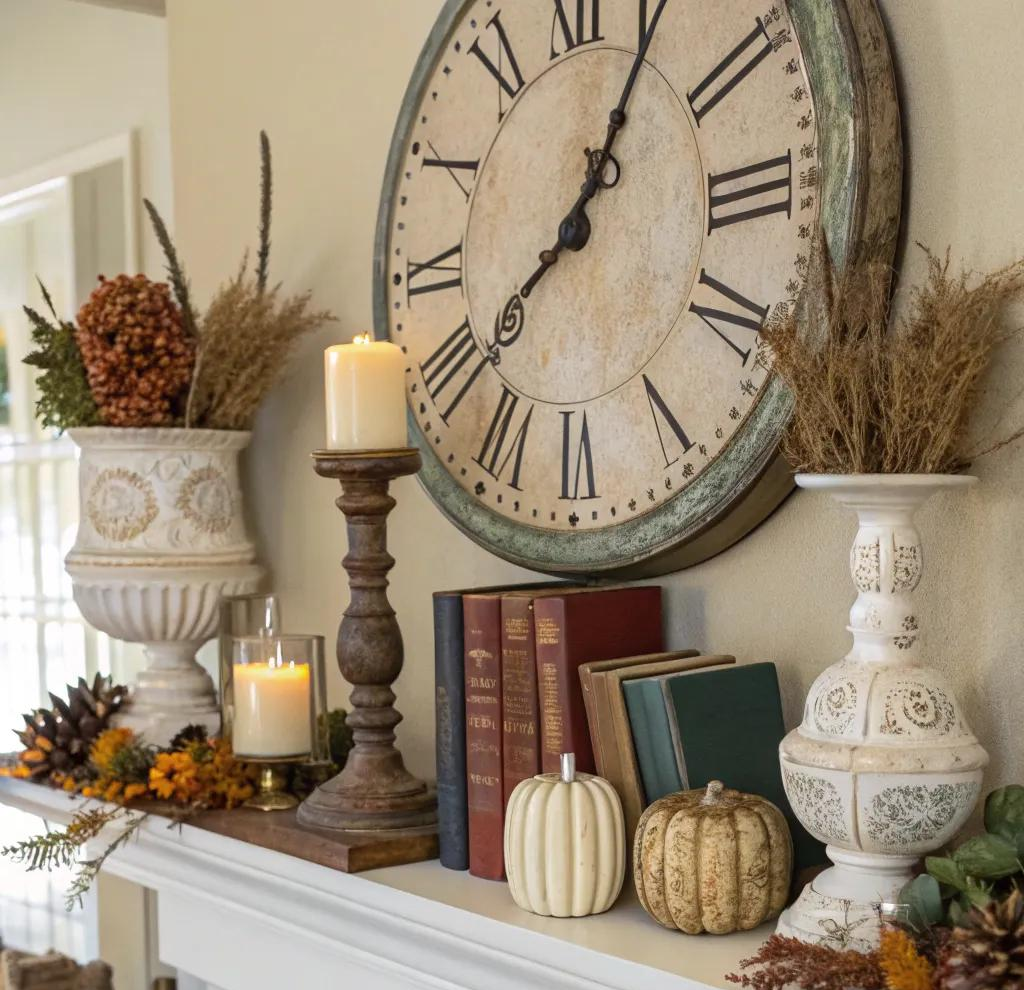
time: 8:05
